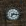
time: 7:15
